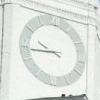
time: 9:43
